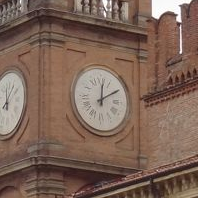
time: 12:09
